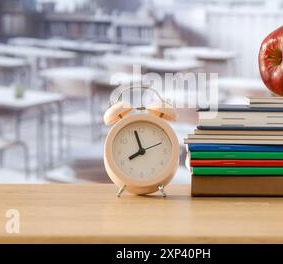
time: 7:57
